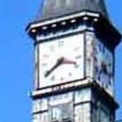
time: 3:39
